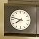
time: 7:47
